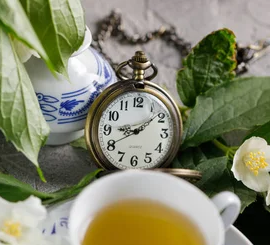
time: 9:08
